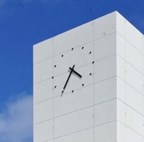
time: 4:35
